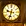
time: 9:33
